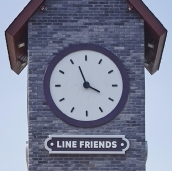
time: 3:56
